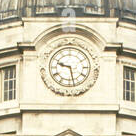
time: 9:27
